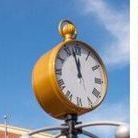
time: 11:57
